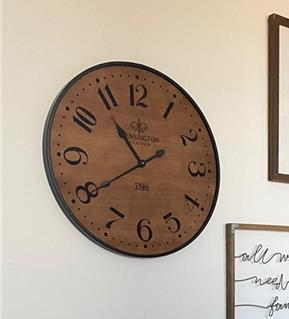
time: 10:39
